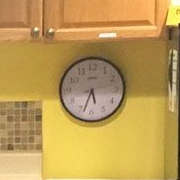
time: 5:33
